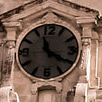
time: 11:20
